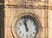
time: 10:58
